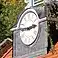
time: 2:46
